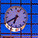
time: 6:40
